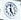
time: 4:59
